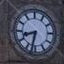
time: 8:32
